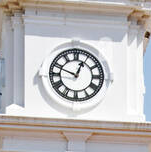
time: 12:48
